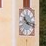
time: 10:17
